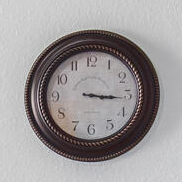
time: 3:15
